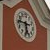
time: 5:45
